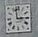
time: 2:58
